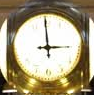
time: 2:59
